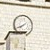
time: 7:40
